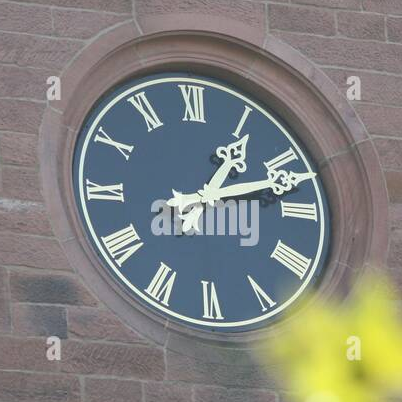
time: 1:12
